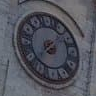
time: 1:37
